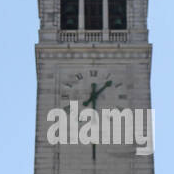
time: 12:07
